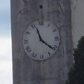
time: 11:21
